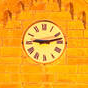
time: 9:12
